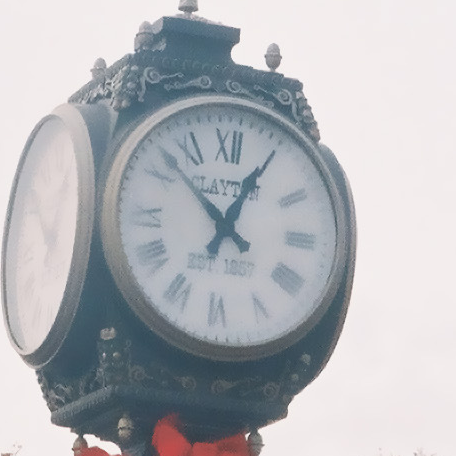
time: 12:52
